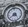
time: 4:40
